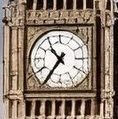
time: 10:36
